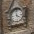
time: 3:58
